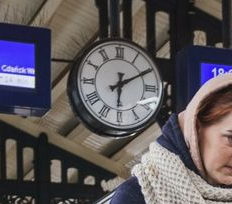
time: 6:10
